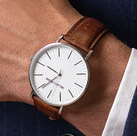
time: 7:50
